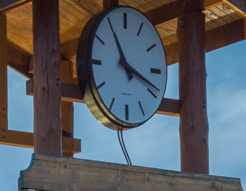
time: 11:18
